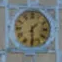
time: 1:29
